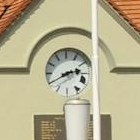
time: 2:40
